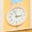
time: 2:57
